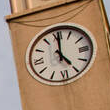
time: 5:00
